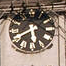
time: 5:40
